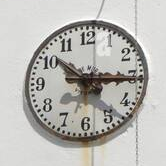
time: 10:15
